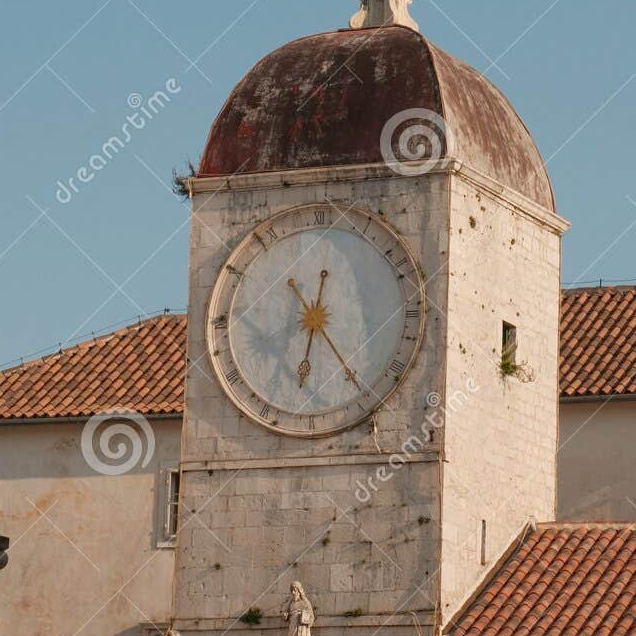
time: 12:32
